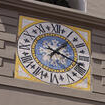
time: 1:18
